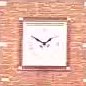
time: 1:50
